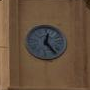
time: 12:23
